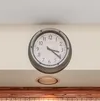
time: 3:21
